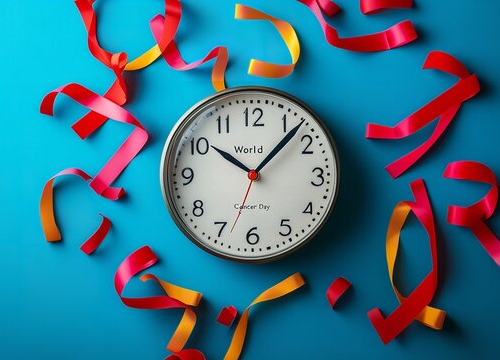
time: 10:07
